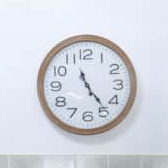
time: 11:23
